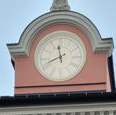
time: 11:41
